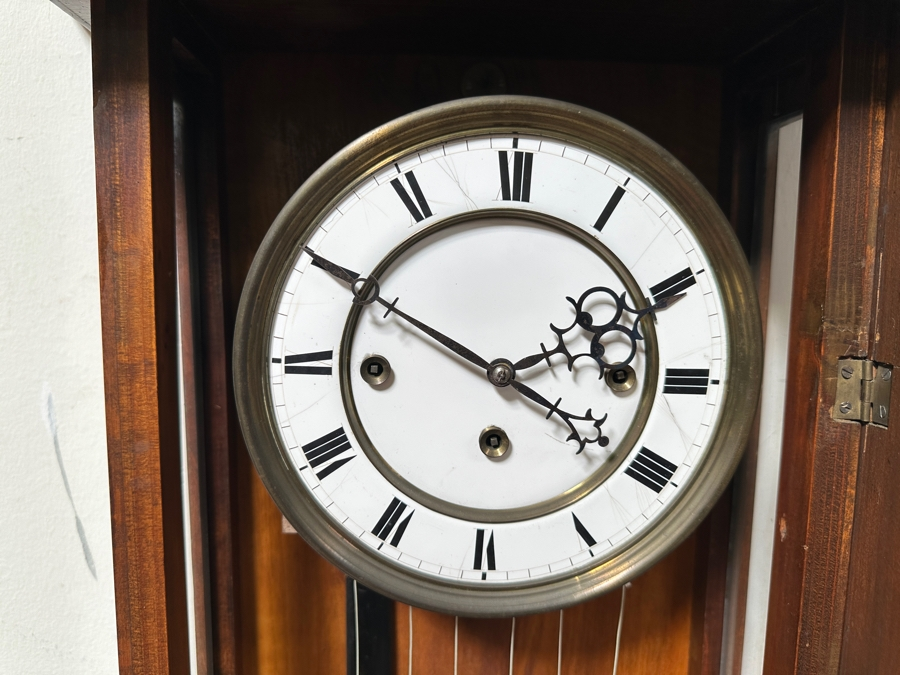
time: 3:49
